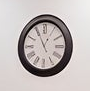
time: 12:55
